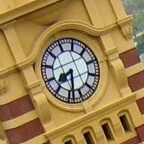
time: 7:28
